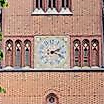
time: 2:18
